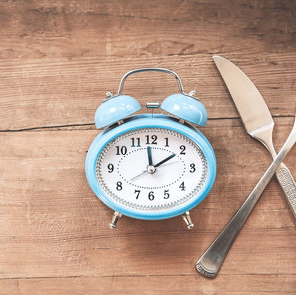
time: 1:59
